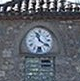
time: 11:21
